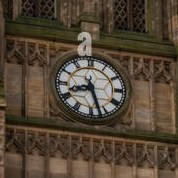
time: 8:27
